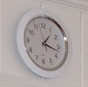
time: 1:16
